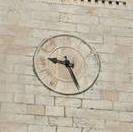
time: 9:26
